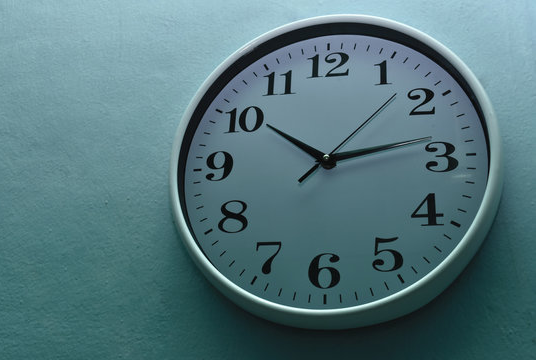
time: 10:13
